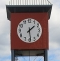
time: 1:28
